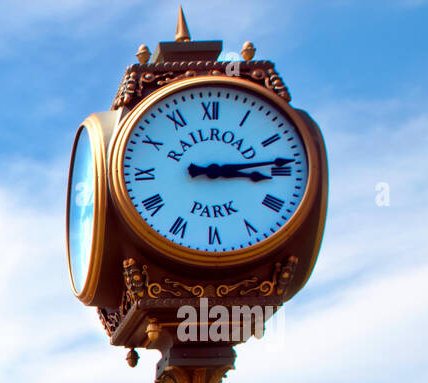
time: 3:13
